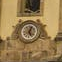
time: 5:03
